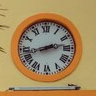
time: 2:42
